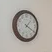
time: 1:20
